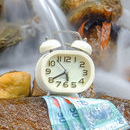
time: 5:40
